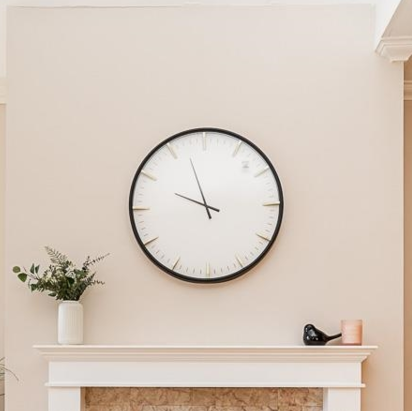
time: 9:57
